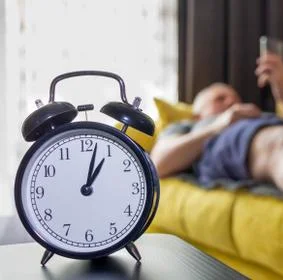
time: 1:02
